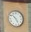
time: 4:52
